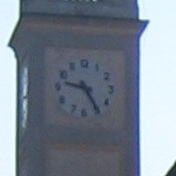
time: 9:24
